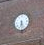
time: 6:27
